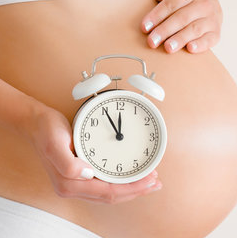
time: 11:55
